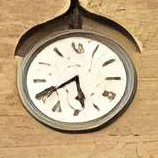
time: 5:40
